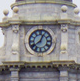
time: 12:38
